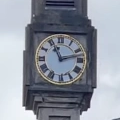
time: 11:12
